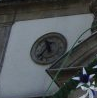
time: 11:36
